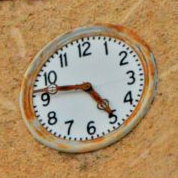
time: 4:46
